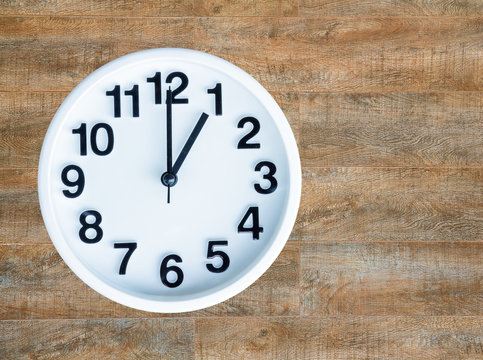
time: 1:00
